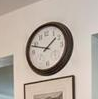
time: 1:48
